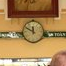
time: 11:50
